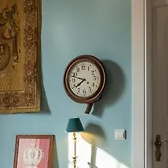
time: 7:47
